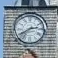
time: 2:40
